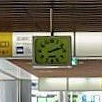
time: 2:11
